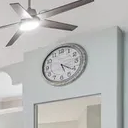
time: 5:21
